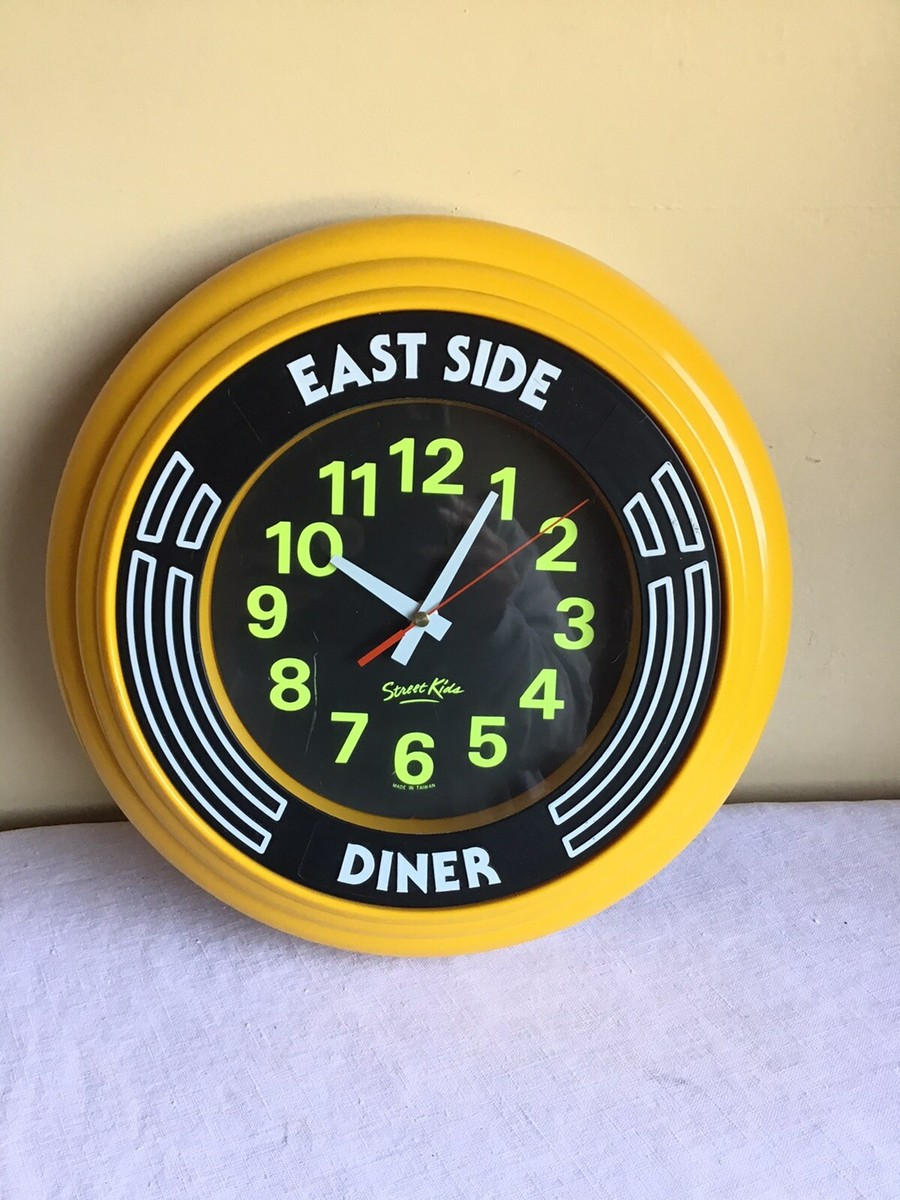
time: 10:04
